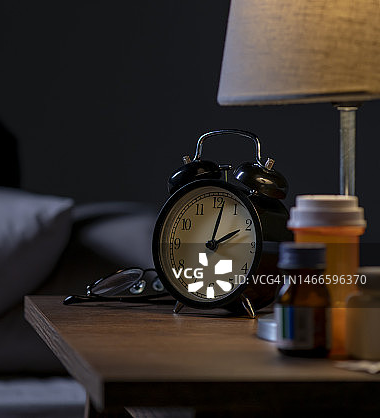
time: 2:02
